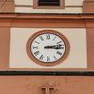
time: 3:12
